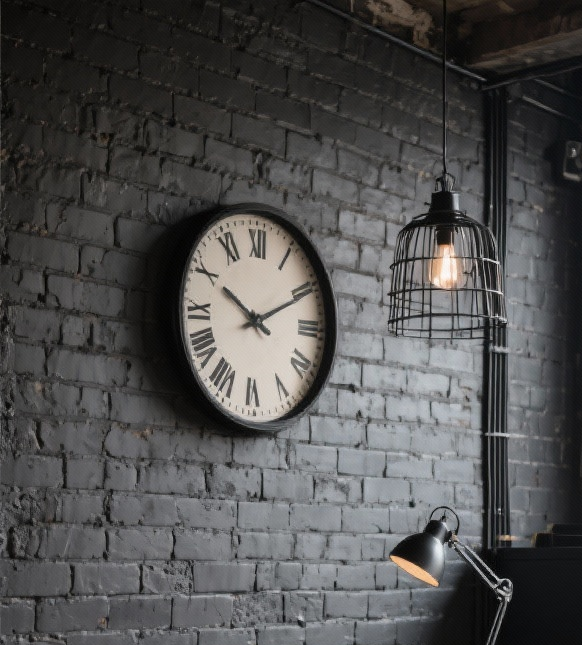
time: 10:10
